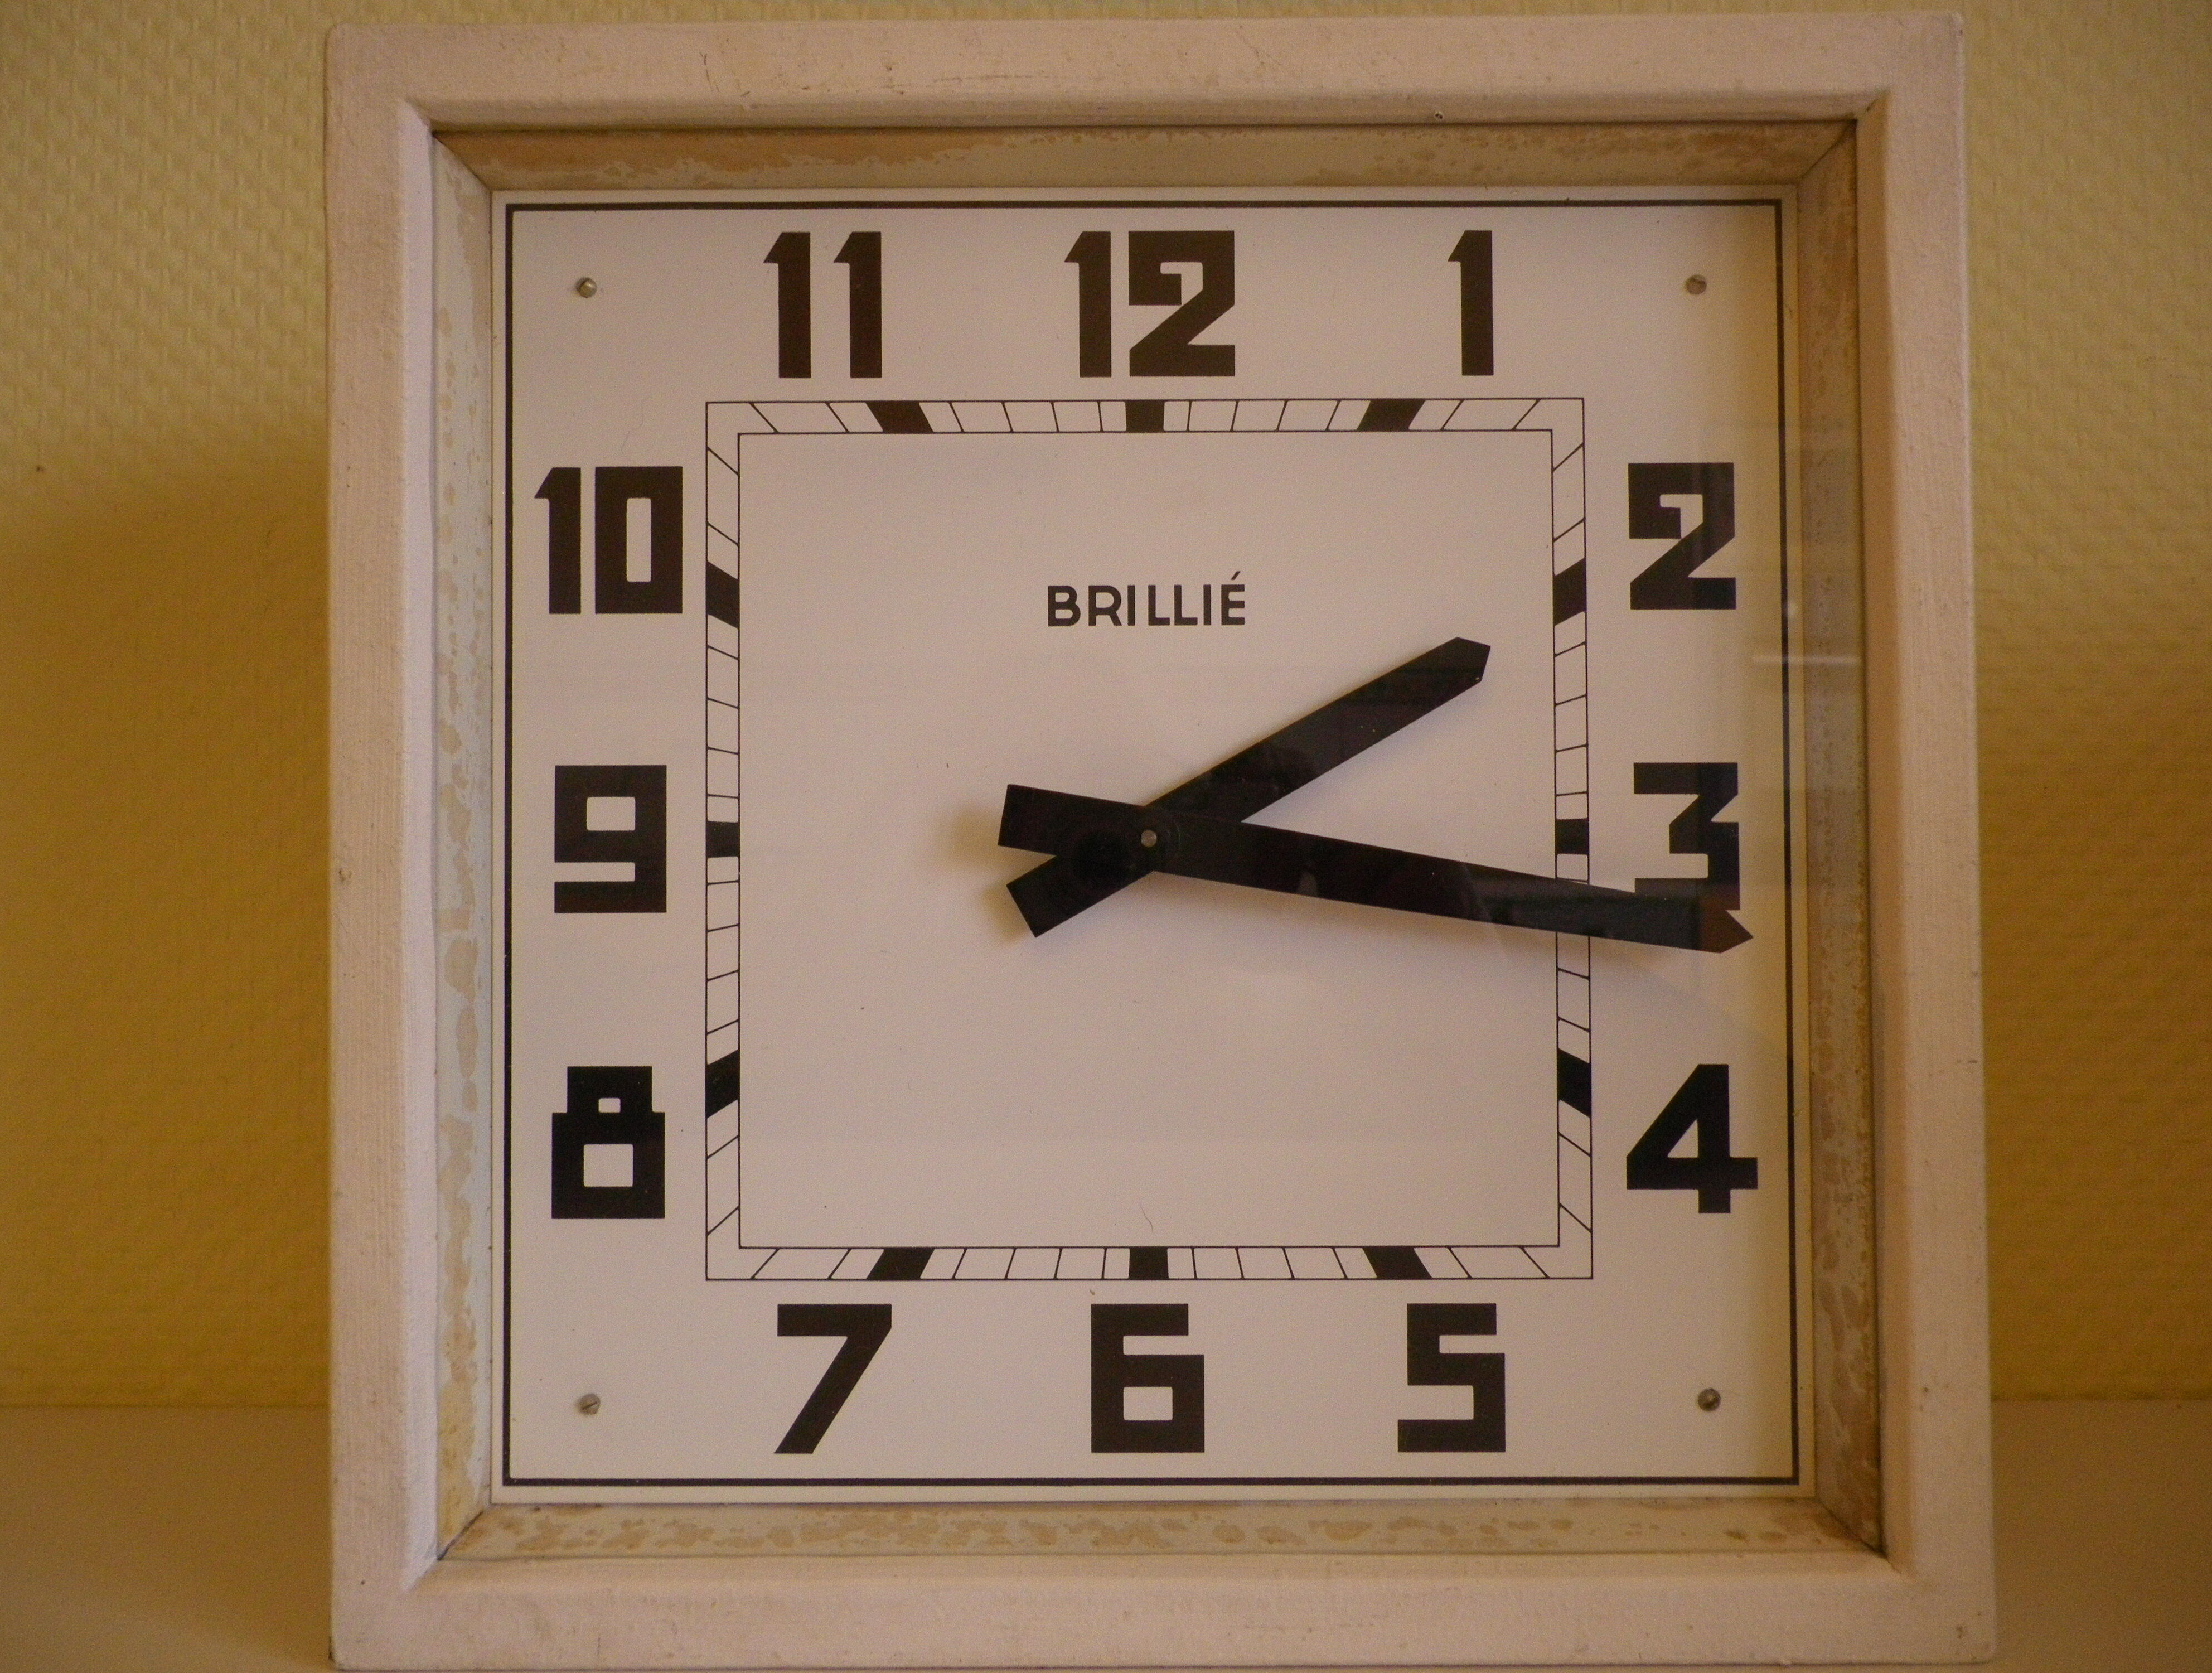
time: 2:16
